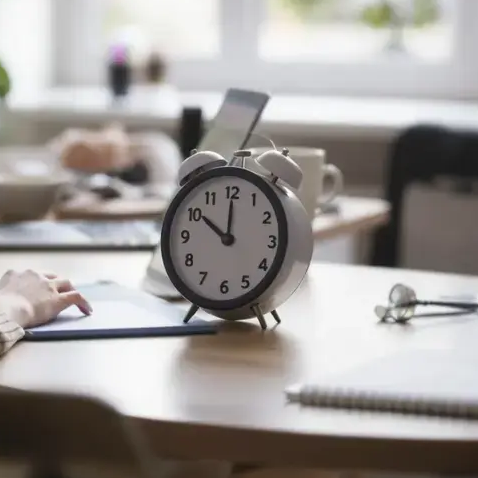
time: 10:00
